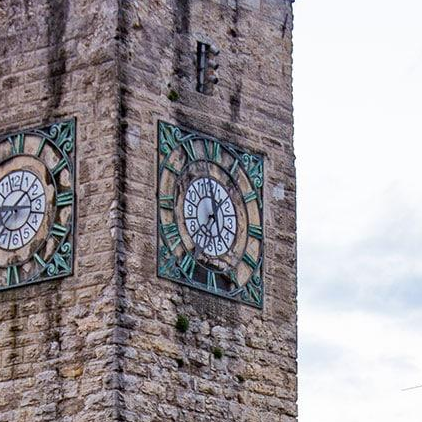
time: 11:35
